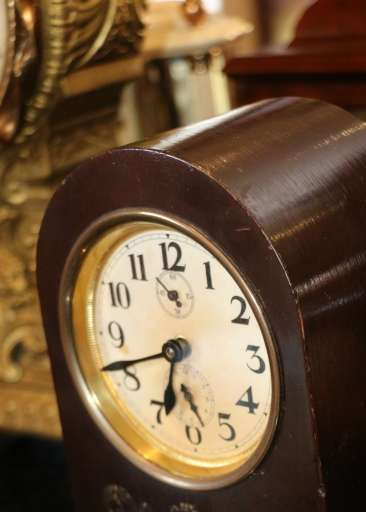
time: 6:41
